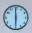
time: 5:59
